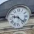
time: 9:22
